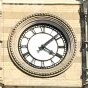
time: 4:07
